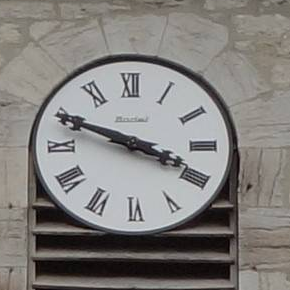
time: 3:48
